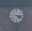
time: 4:16
